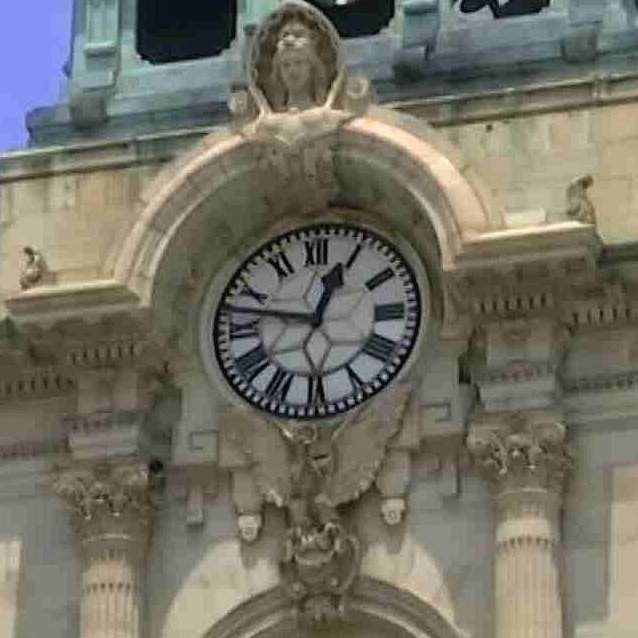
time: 12:47
